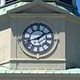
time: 1:42
